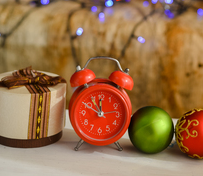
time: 11:49
